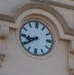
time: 8:39
